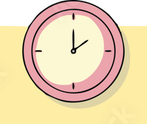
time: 1:59
